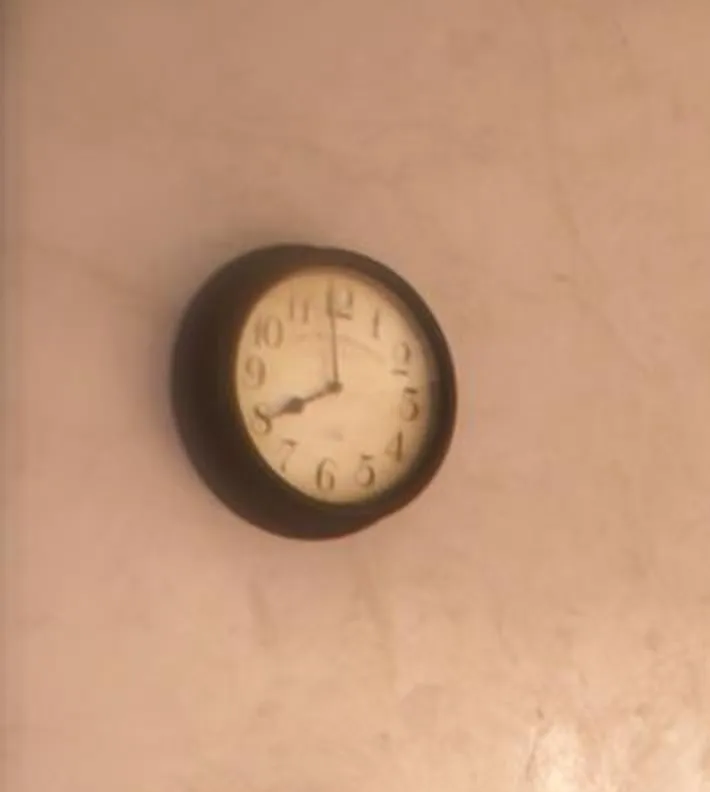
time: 7:59
